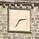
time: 2:35
